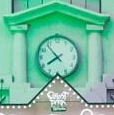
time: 7:53
